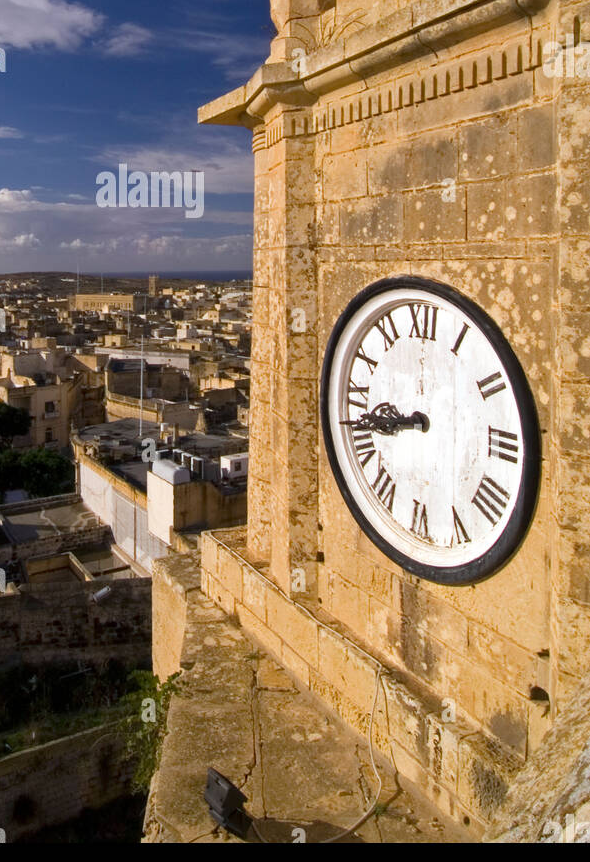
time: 8:42
